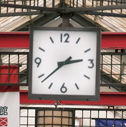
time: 2:38
